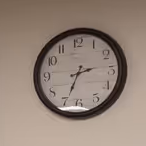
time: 2:34
